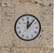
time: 12:06
